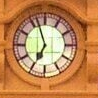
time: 6:56
